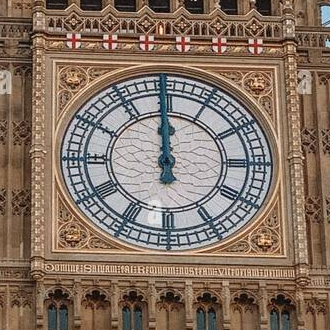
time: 11:59
